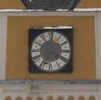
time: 3:34
